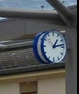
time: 1:13
